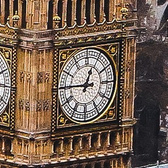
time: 12:45
